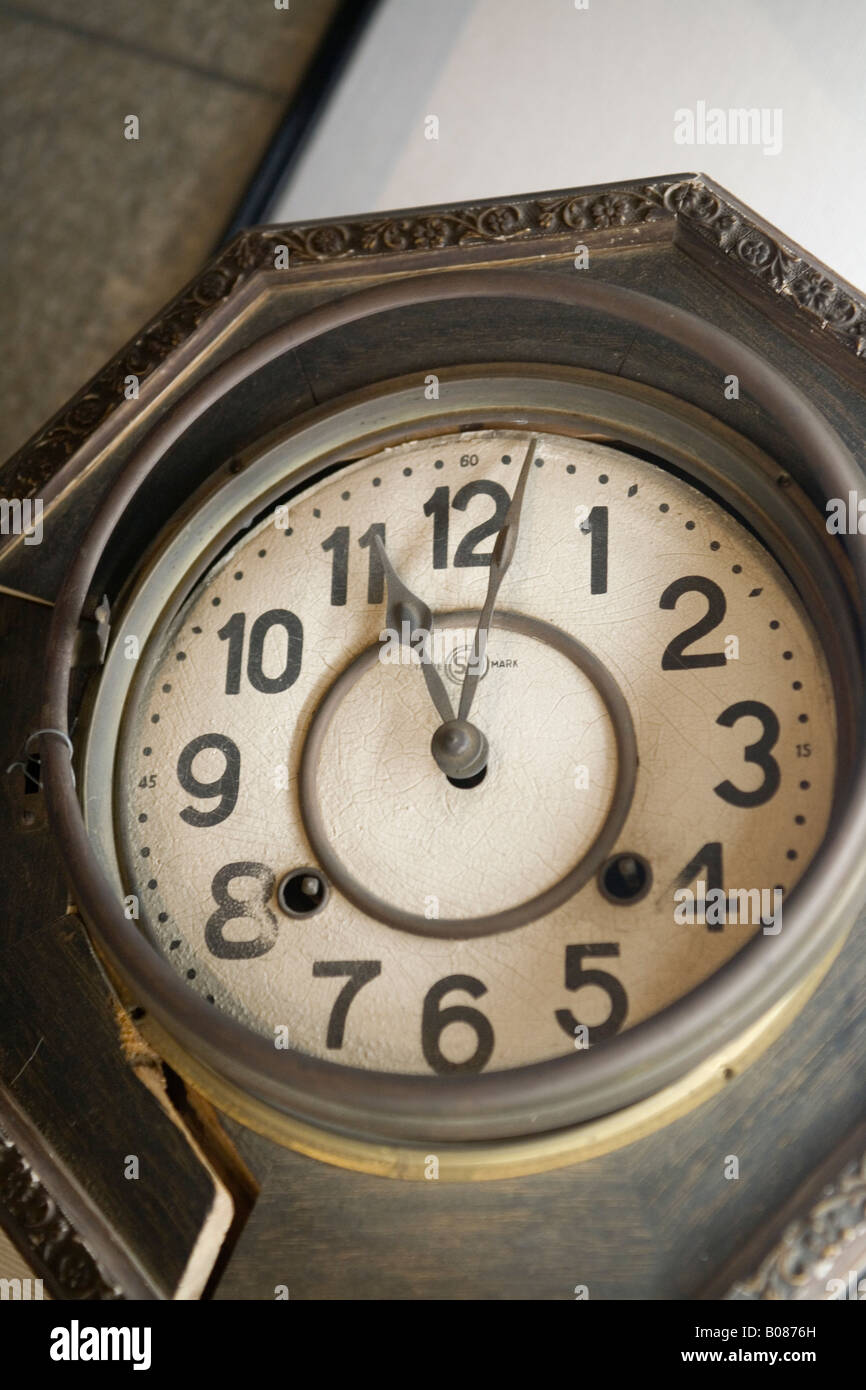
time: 11:02
